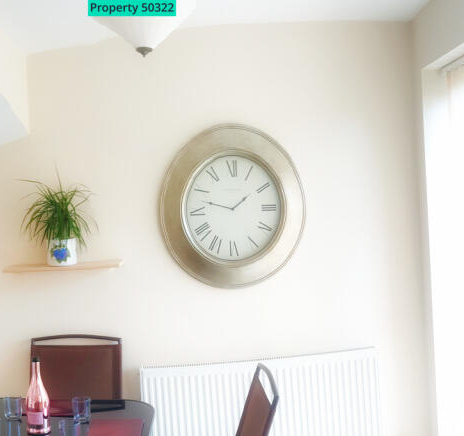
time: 1:47
